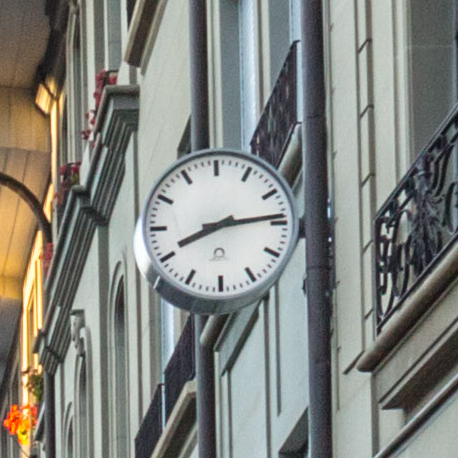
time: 8:14
